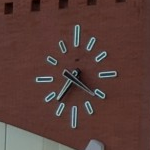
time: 7:20
